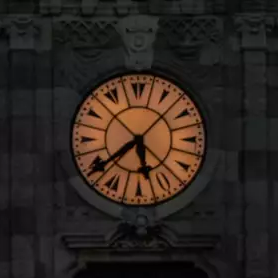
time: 5:39
